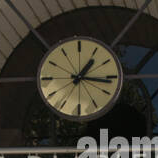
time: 1:16
